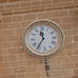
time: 11:35
